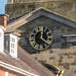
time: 12:20
